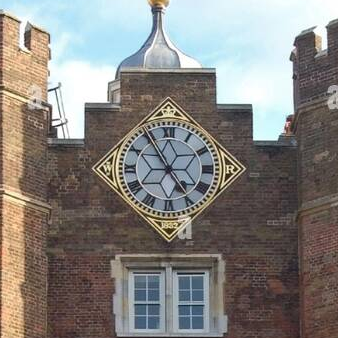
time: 4:54
